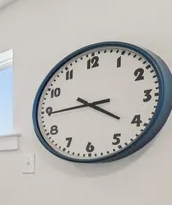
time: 3:44
